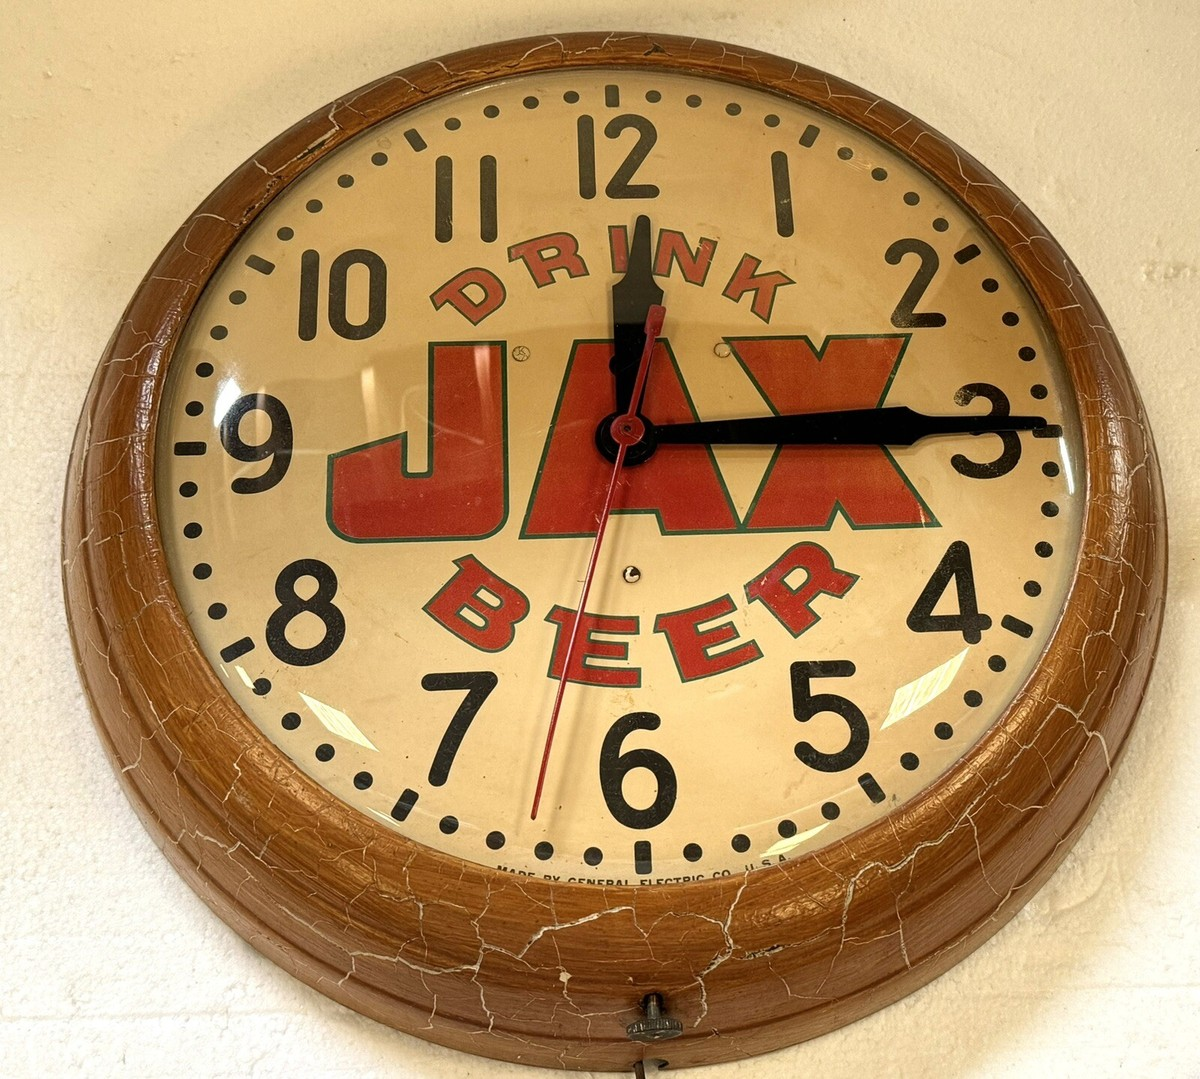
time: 12:14
